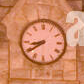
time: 8:39
